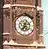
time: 12:36
